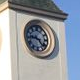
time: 9:23
